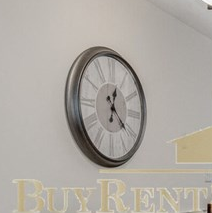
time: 12:21
